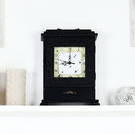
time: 9:00
